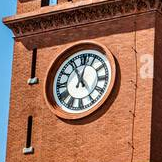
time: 11:02
